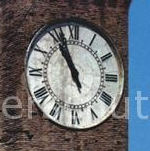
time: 10:56
